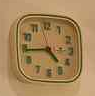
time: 4:44
